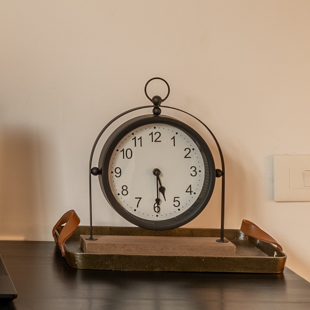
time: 5:29
